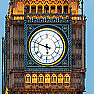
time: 5:48
